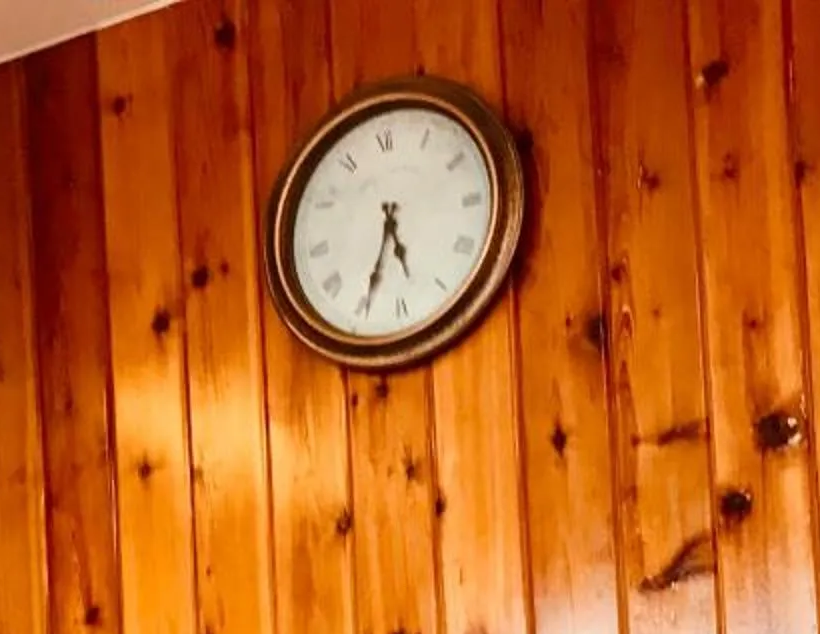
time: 5:34
